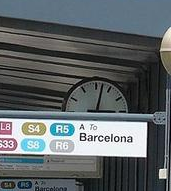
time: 3:02
